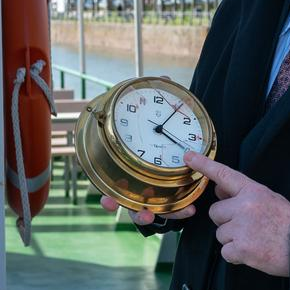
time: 4:05
